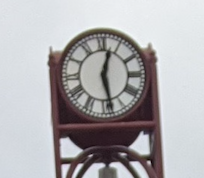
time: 12:28
